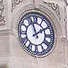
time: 1:56
